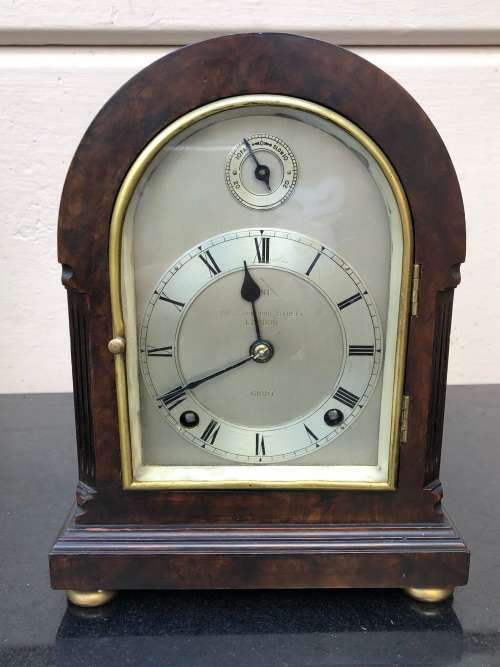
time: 11:40
